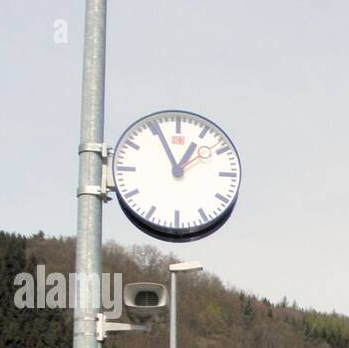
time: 12:56
